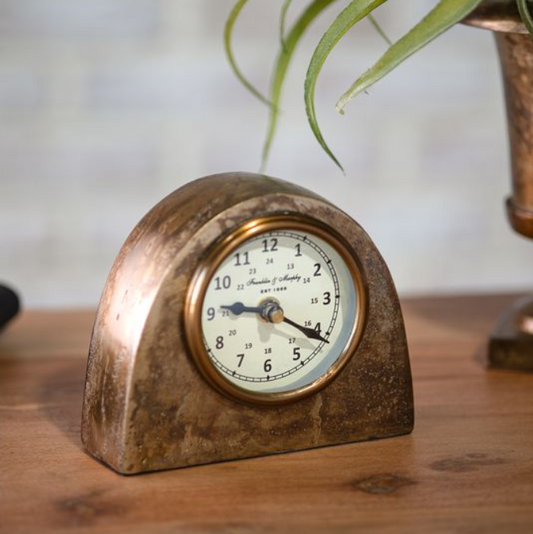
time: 9:20
